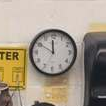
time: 11:50
